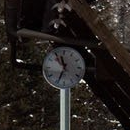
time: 11:34
